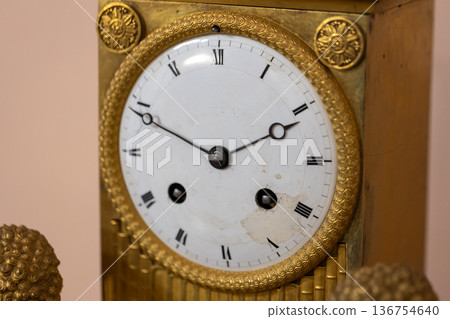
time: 1:49
